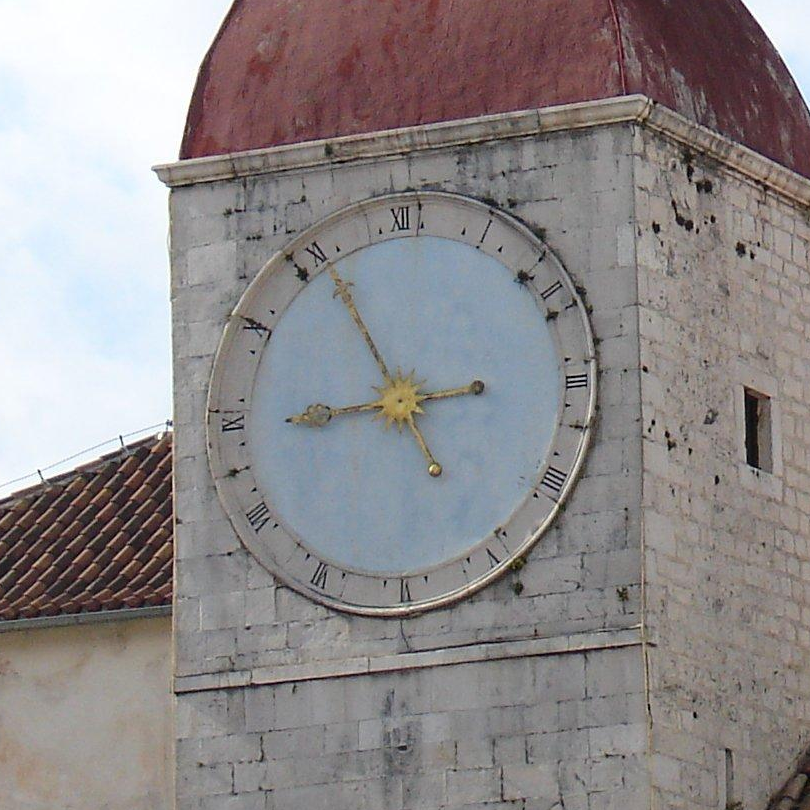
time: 8:55
